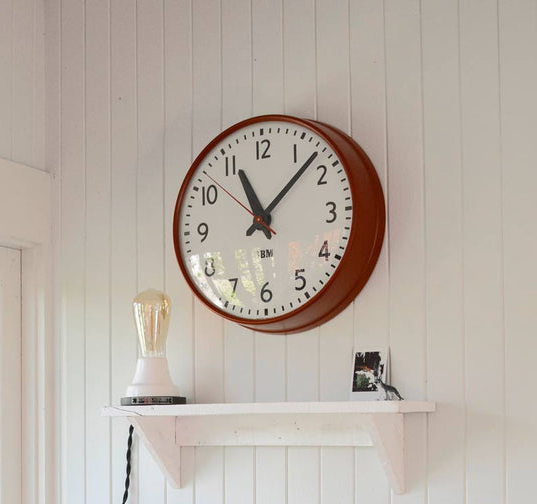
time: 11:07
